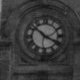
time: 10:19
